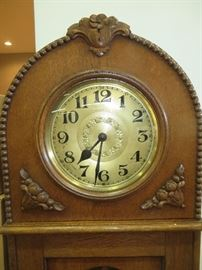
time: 7:31
